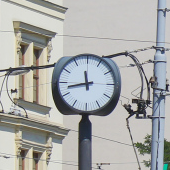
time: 11:42
